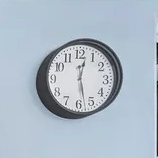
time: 12:27
